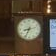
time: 8:34
